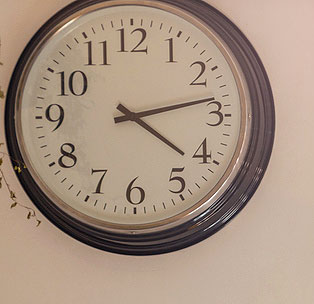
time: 4:13
